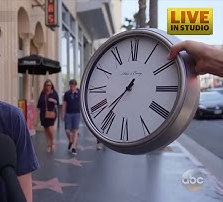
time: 7:36
